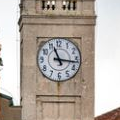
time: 11:16
